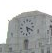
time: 5:18
